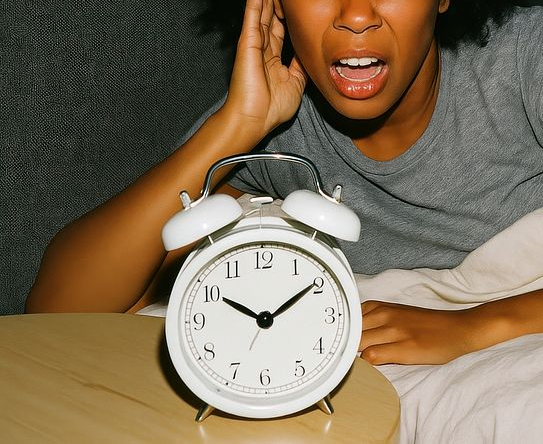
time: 10:09
